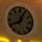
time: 8:04
